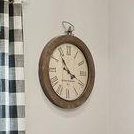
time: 3:54
